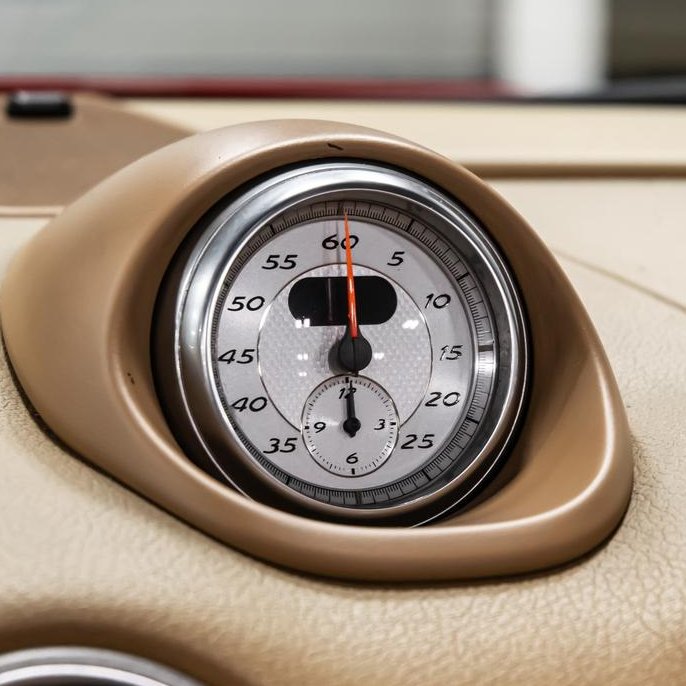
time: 6:00
